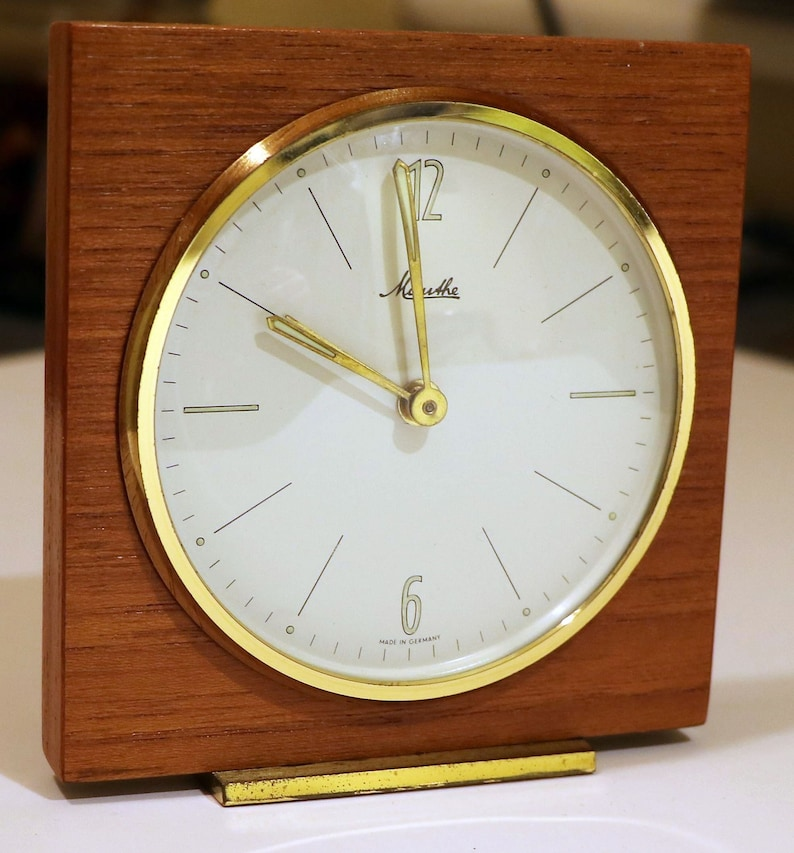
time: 9:59
